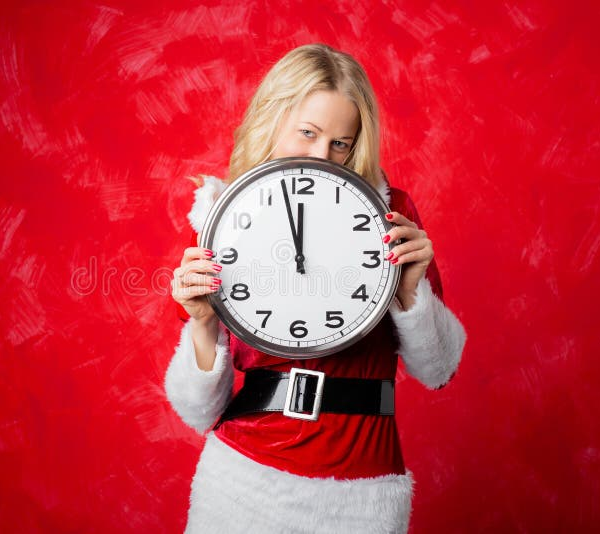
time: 11:57
